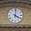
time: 4:01
